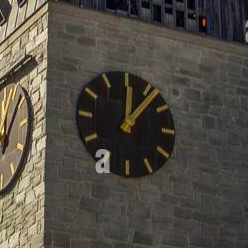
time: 12:06
